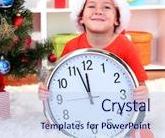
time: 11:56
